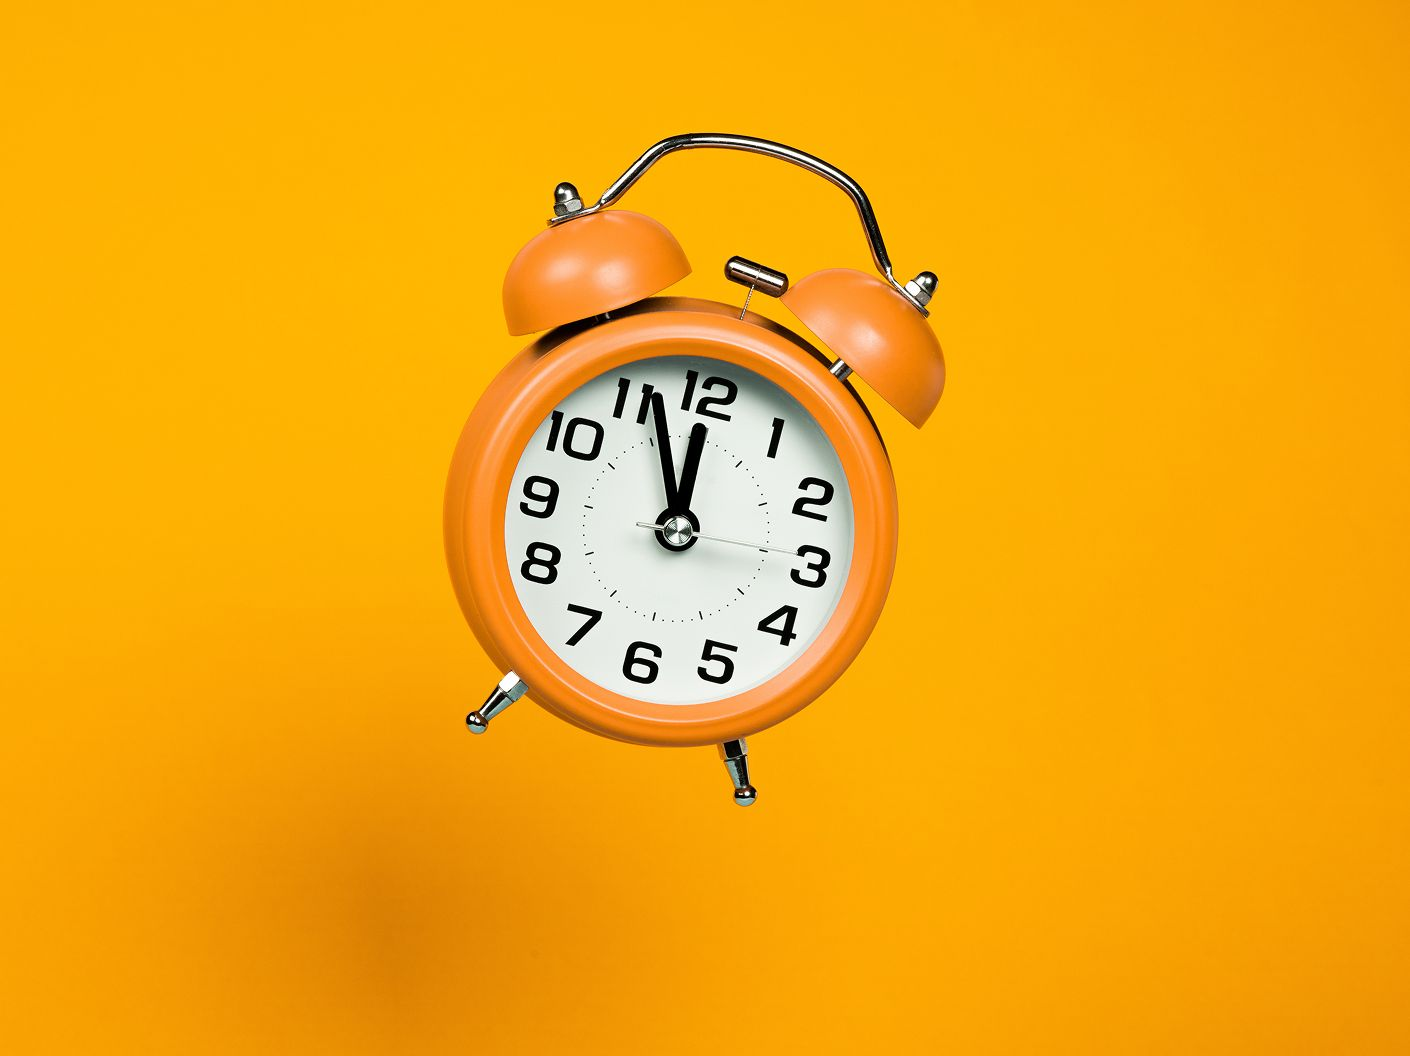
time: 11:56
